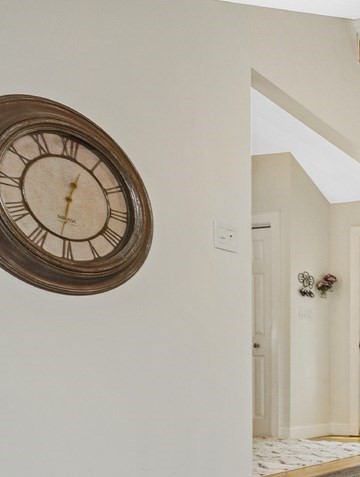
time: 12:31
